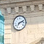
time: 7:11
